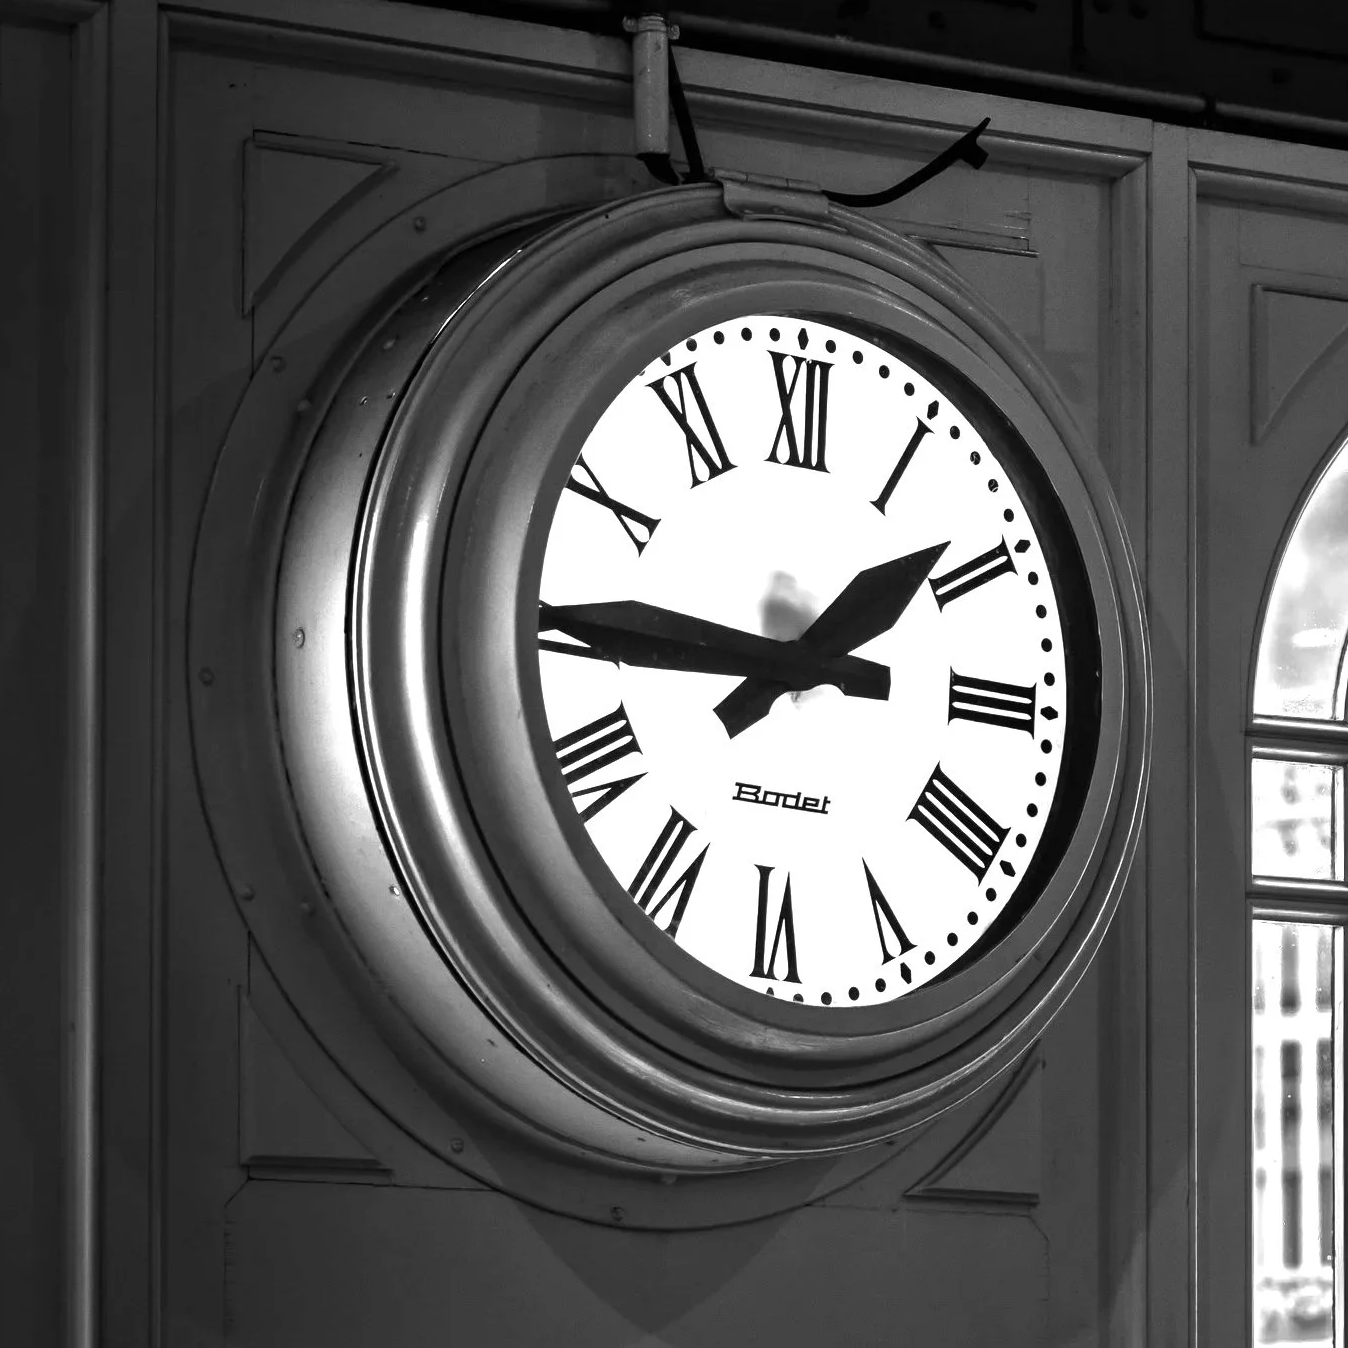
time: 1:45
